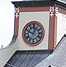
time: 12:49
